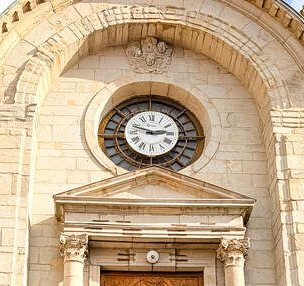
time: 2:48
